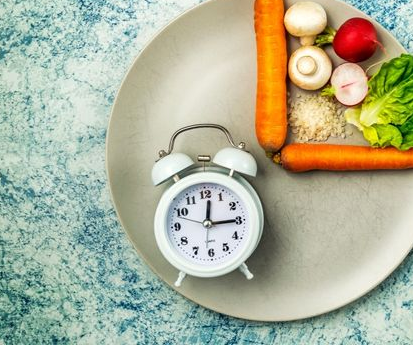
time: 12:14
